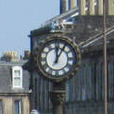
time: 12:05
